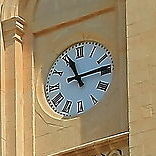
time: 11:13
